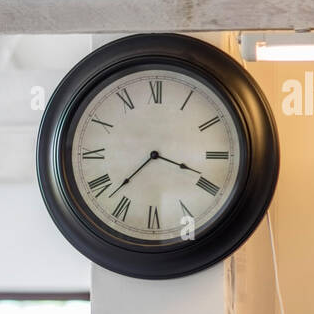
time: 3:37
